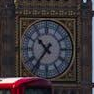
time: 10:36
